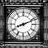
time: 8:11
